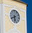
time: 5:40
